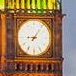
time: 9:06
